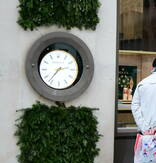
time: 2:36
